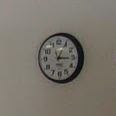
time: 3:04
